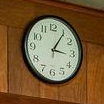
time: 3:05
